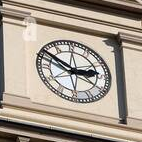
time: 2:50
